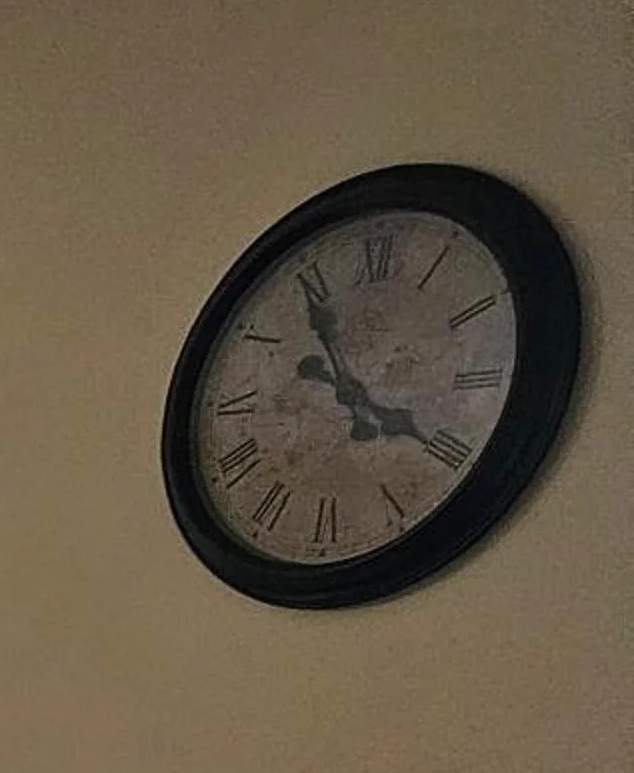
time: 3:54
